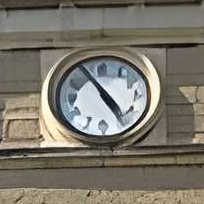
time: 4:54
